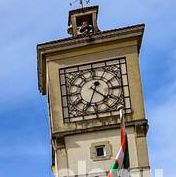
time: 4:34
